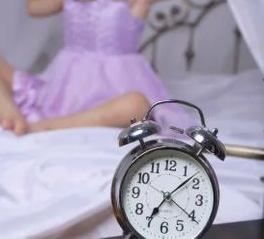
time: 7:08
